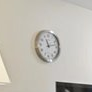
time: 11:12
